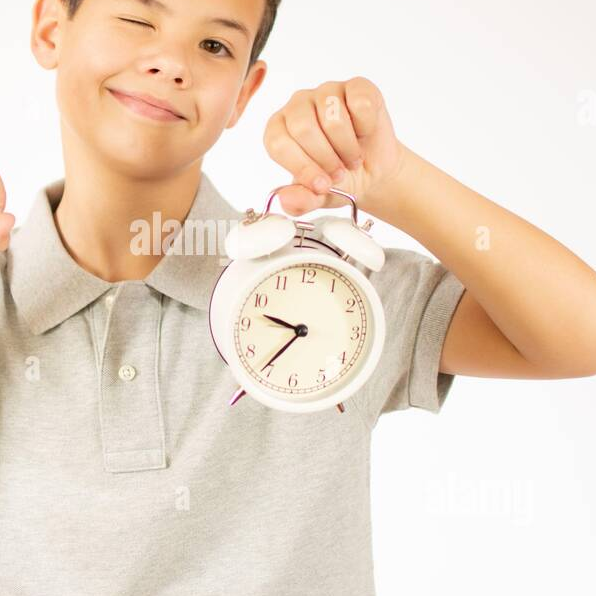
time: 9:36
